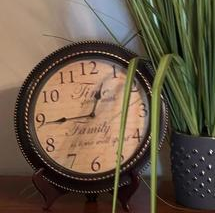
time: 12:44
